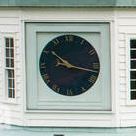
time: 10:17
